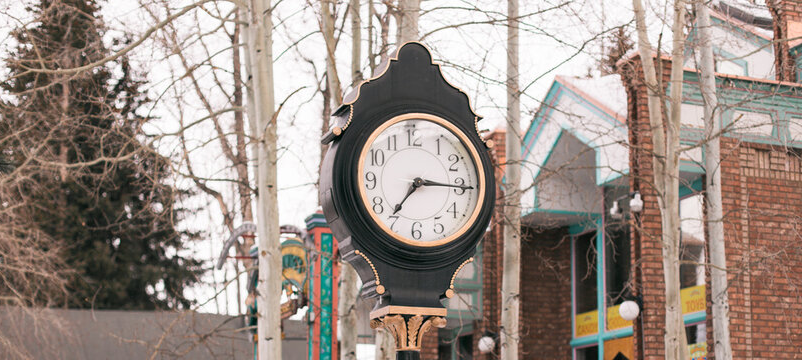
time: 7:15
